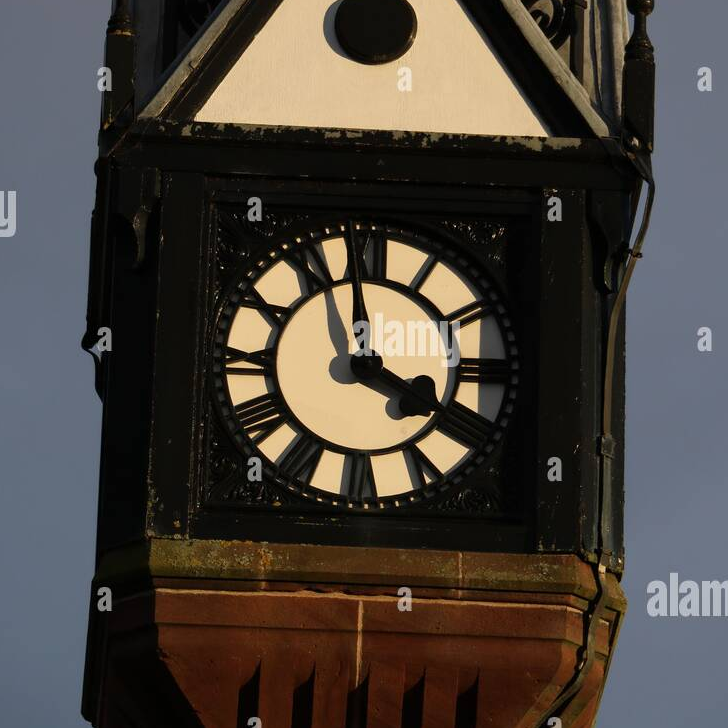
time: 3:58
